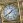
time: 1:39
